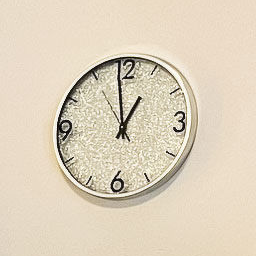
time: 12:58
